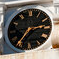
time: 2:36
